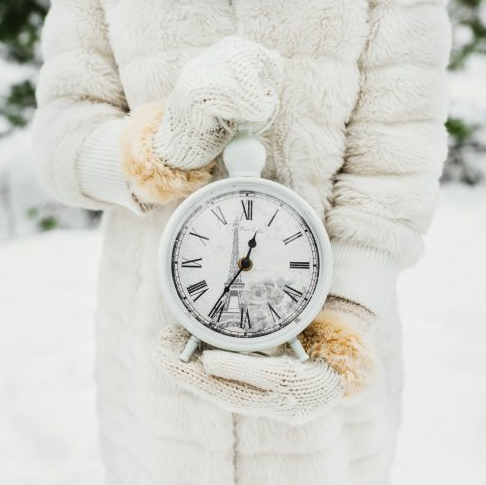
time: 12:35
